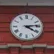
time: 4:13
